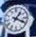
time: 1:18
